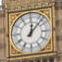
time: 12:07
